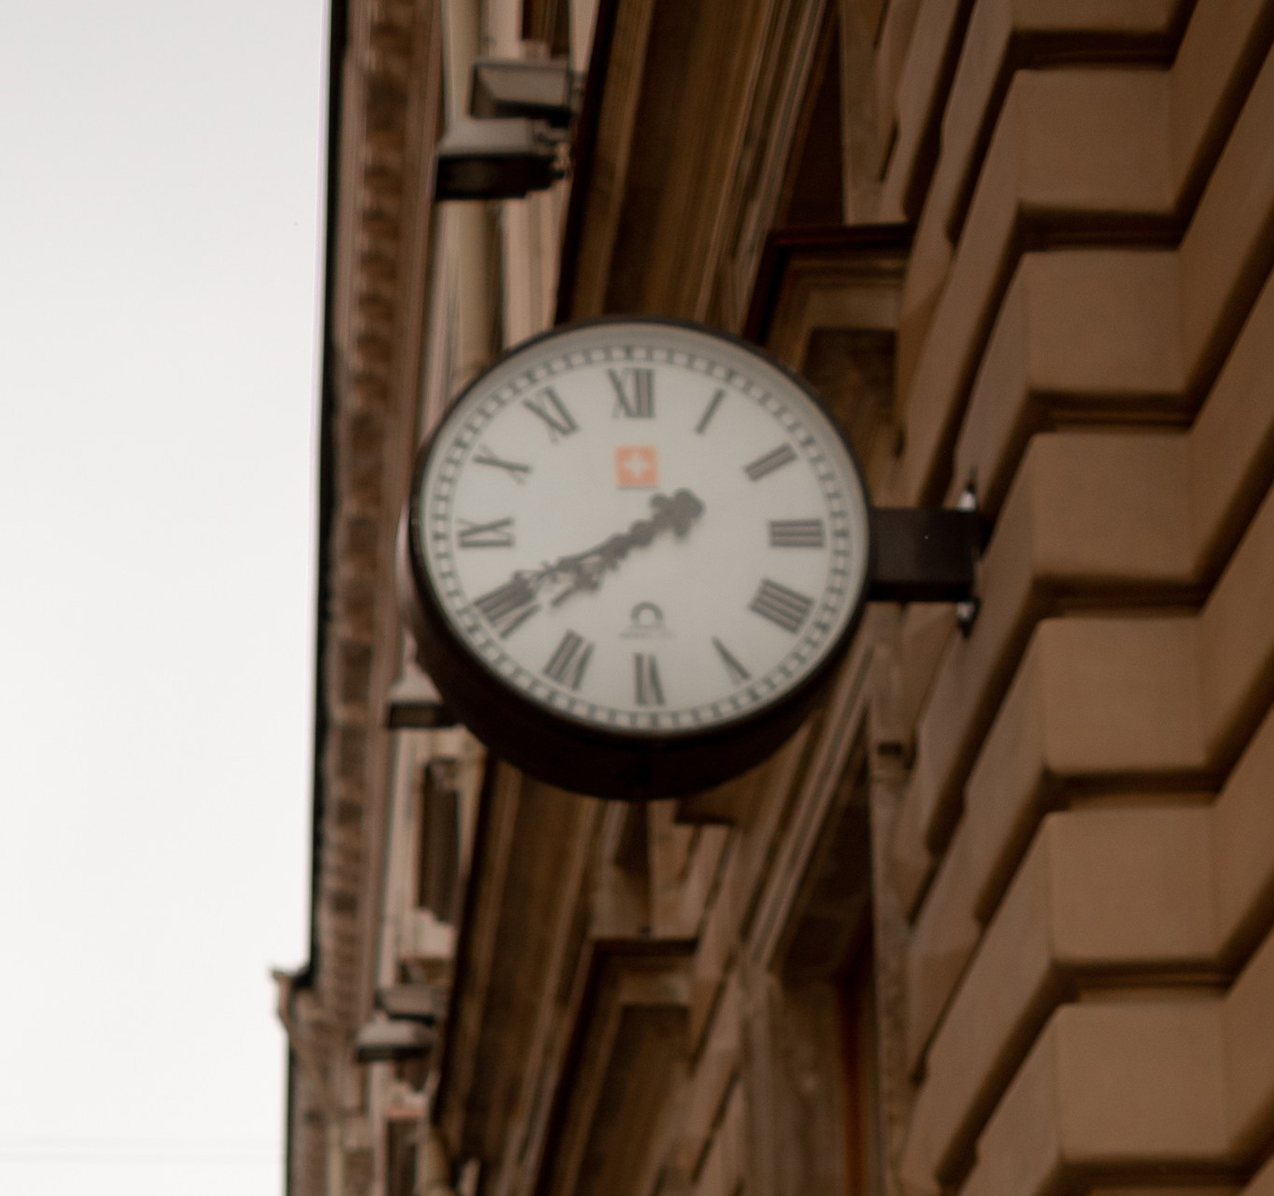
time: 7:40
